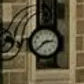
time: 2:38
